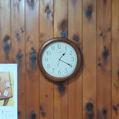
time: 1:19
